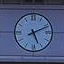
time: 5:11
